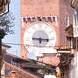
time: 9:16
